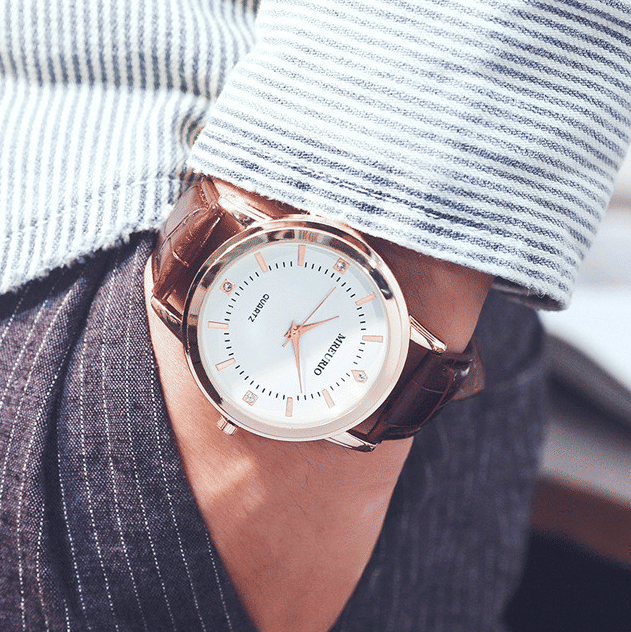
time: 2:06
